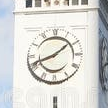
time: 1:41
